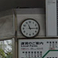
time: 11:15
